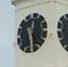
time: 12:28
